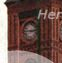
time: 2:45
